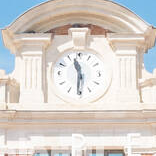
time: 11:30
